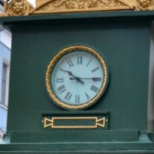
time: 10:14
